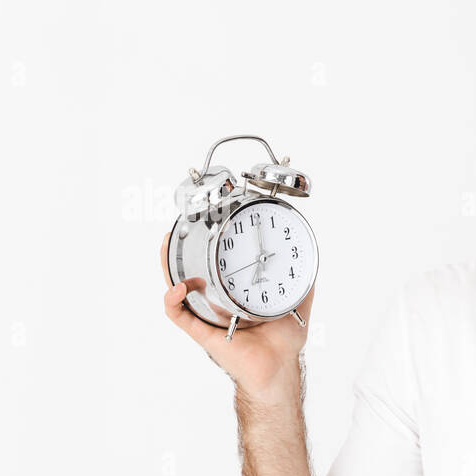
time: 7:00
